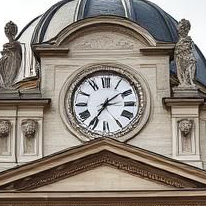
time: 1:35
